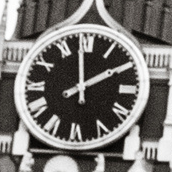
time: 1:58
